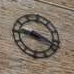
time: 9:18
